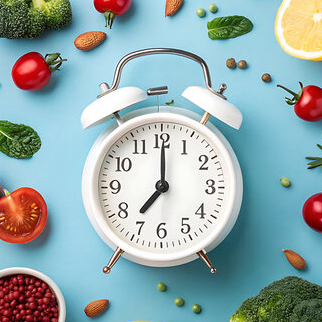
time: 7:00
